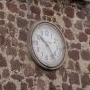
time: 10:24
